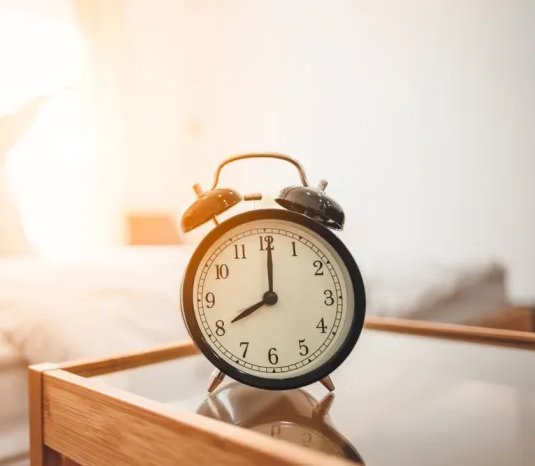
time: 8:00
